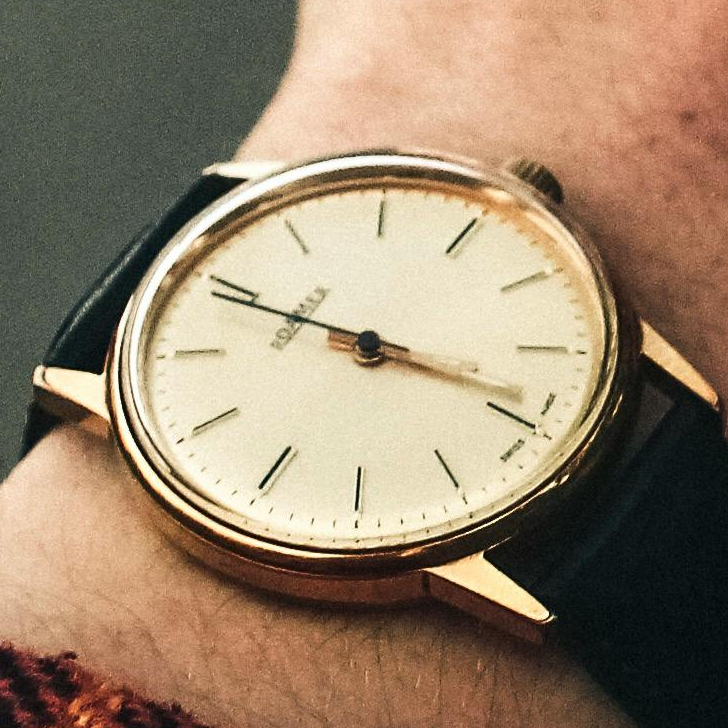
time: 3:49
